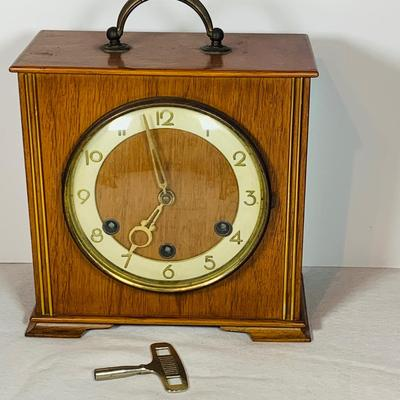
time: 6:58
